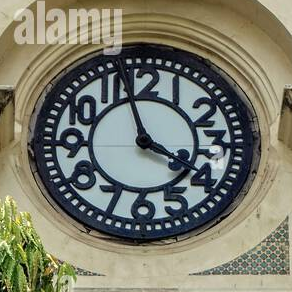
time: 3:57
